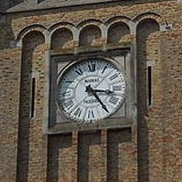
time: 3:24
